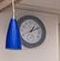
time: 1:10
